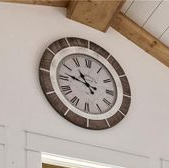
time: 10:46
